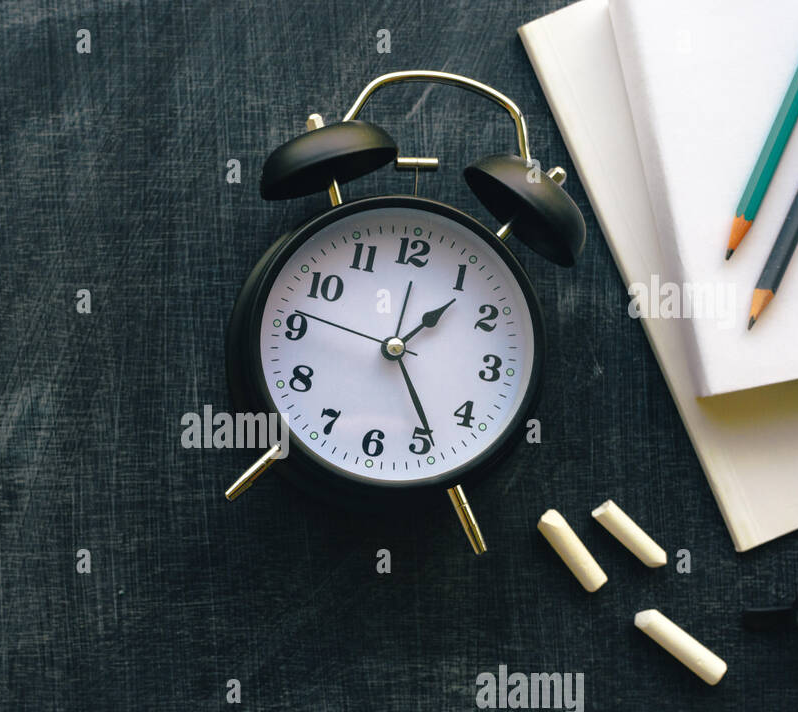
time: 1:24
